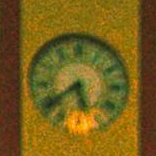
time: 5:38
